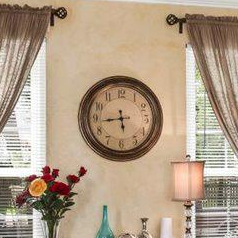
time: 5:43
